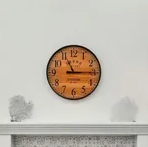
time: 11:14
